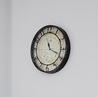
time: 11:18
